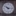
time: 10:15
